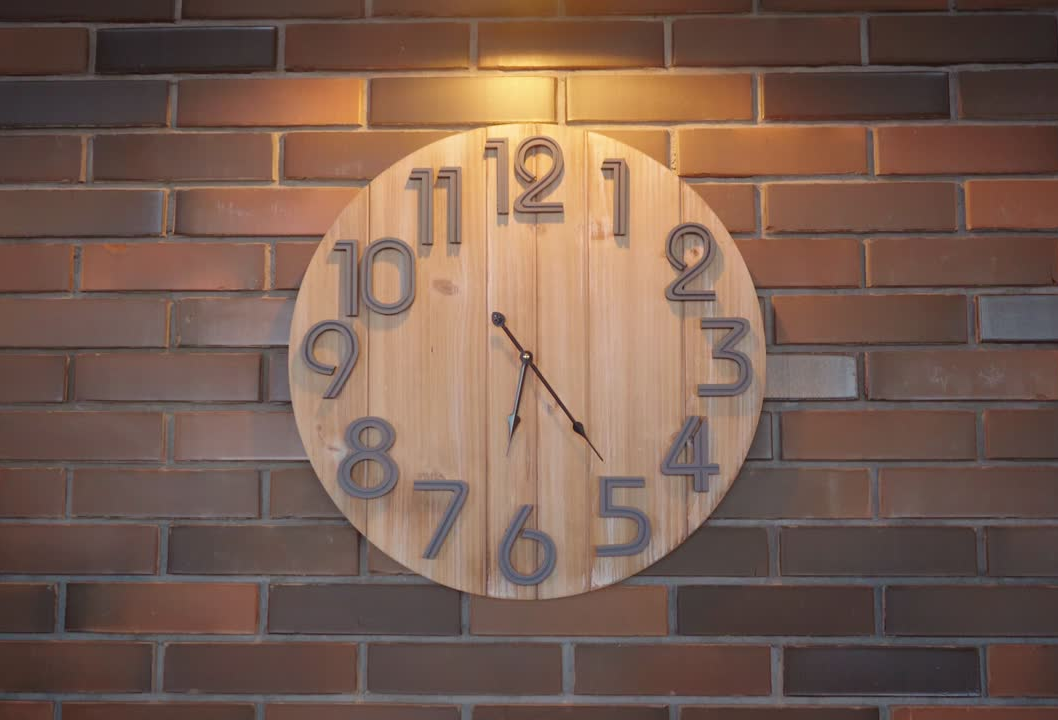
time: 6:23
